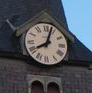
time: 8:03
